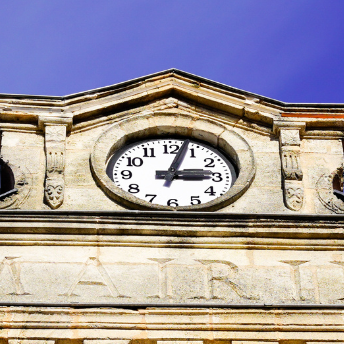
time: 3:02
